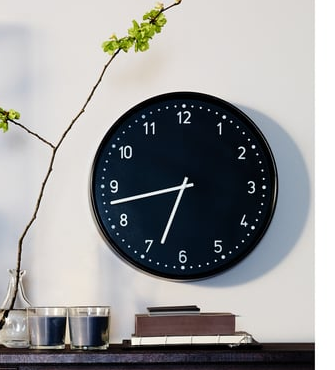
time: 6:42
